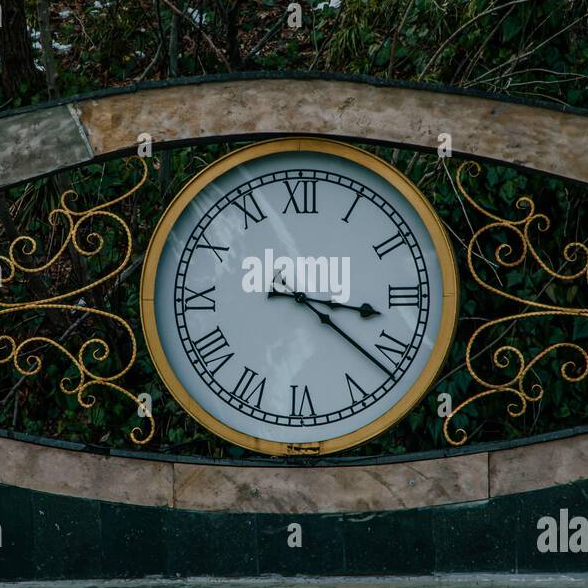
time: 3:21
